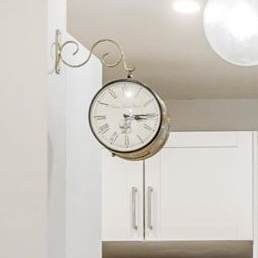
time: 3:14
